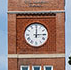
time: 12:14
